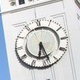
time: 6:28
